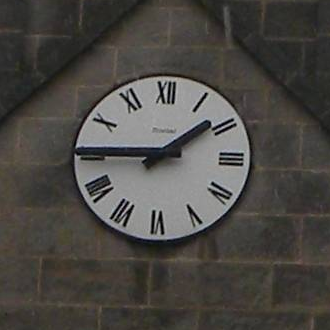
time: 1:45
